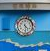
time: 4:28
